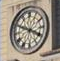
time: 3:48
